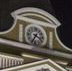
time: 3:34
